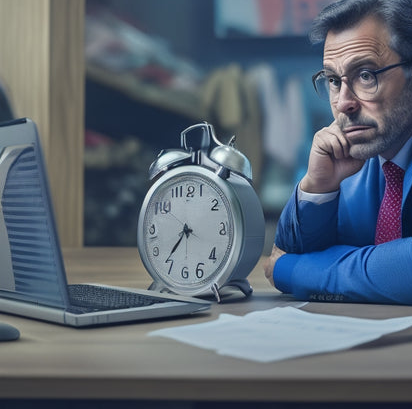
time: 7:36
